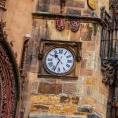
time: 10:34
